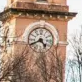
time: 4:40
